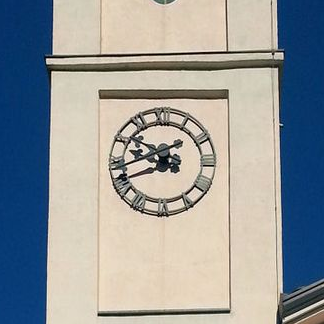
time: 9:41
